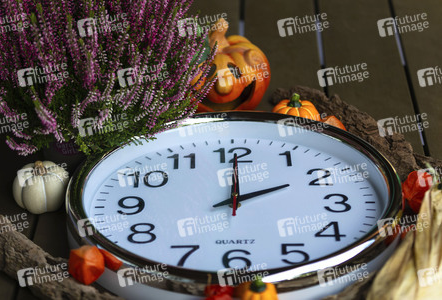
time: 2:00
